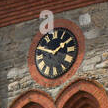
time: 1:47
